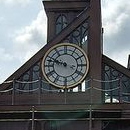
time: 9:47
